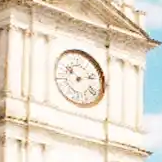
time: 10:12
